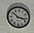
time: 10:16
